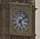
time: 5:08
